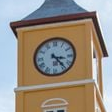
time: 3:23
